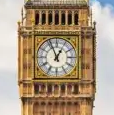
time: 12:56
